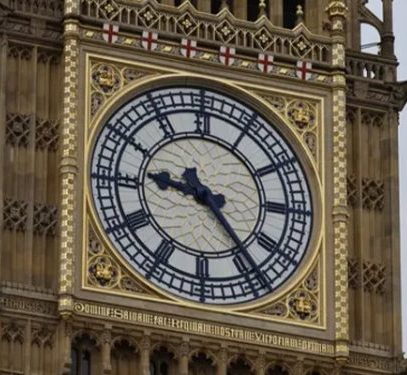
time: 9:23
